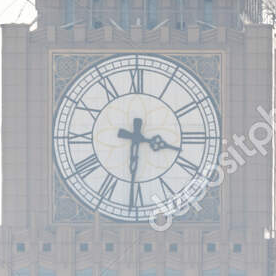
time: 3:30
